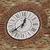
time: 12:38
